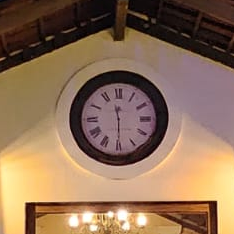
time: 11:29
